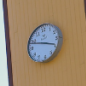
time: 3:48
